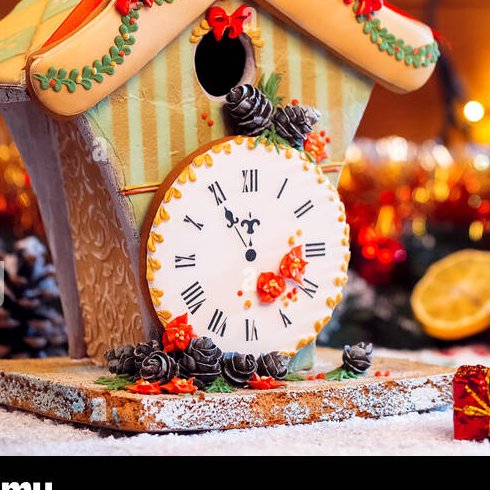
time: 11:54
